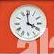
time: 3:59
